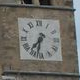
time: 7:32
